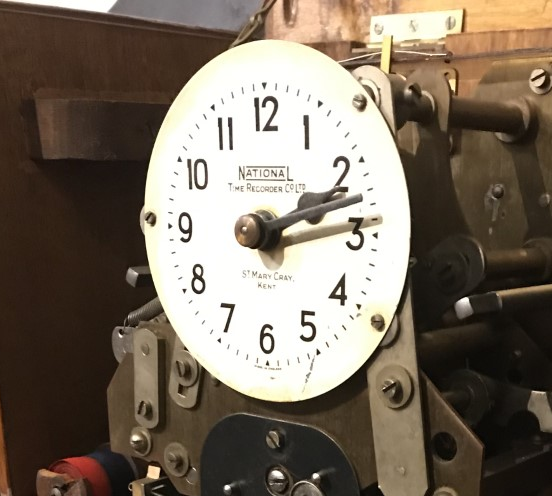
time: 2:12
